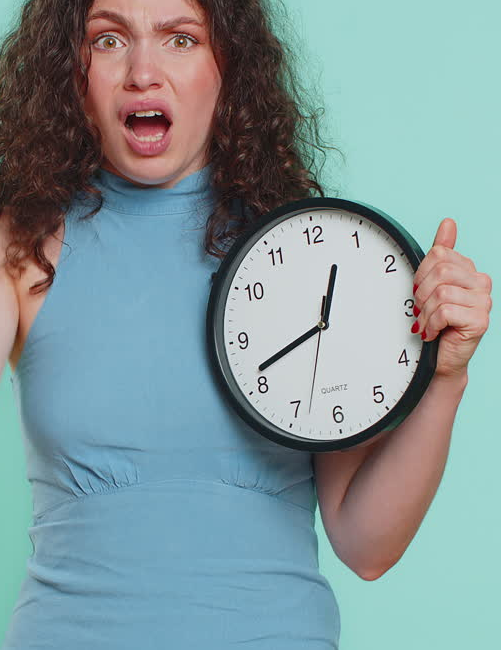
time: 12:41
